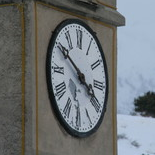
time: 3:50
